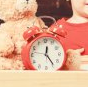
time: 12:24
